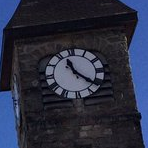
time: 11:21
